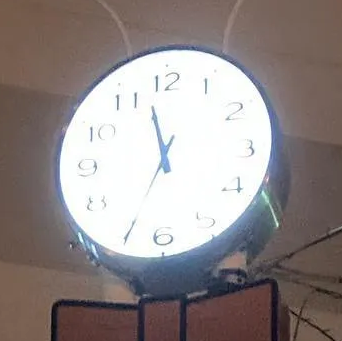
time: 11:34
